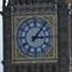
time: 3:06
